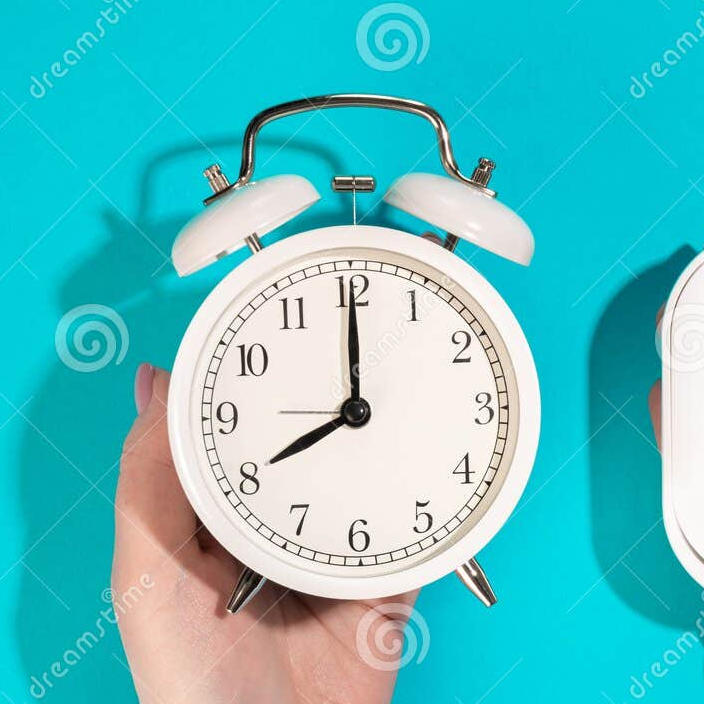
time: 8:00
